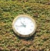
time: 10:43
